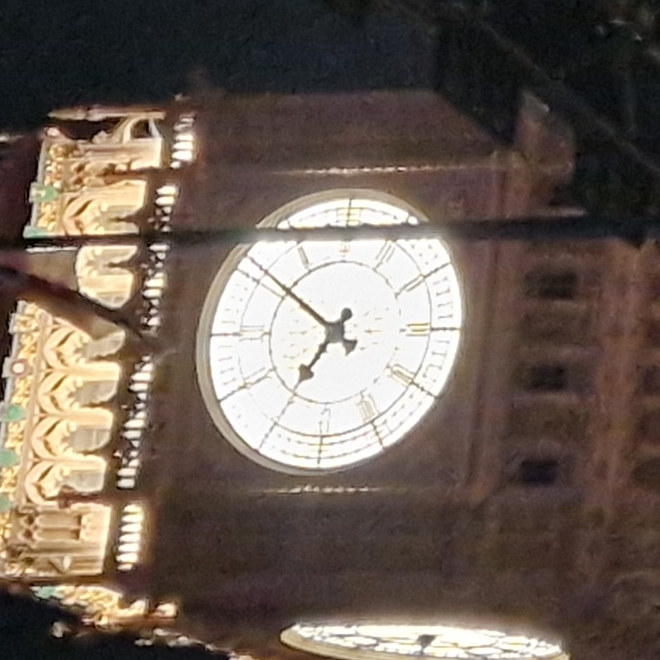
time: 6:51
